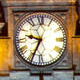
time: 9:34
